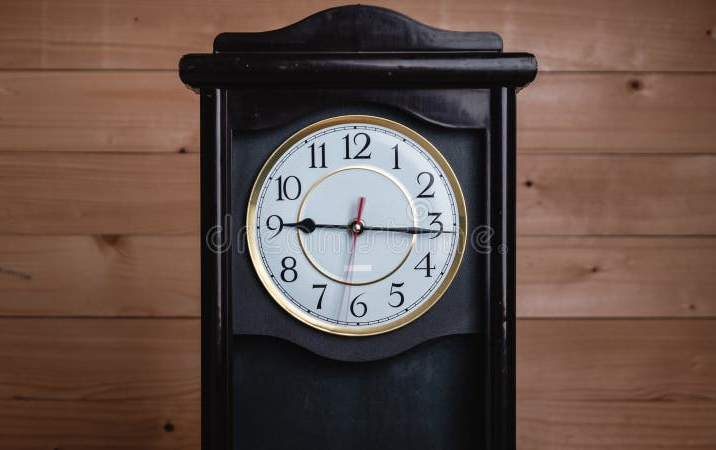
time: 9:15
